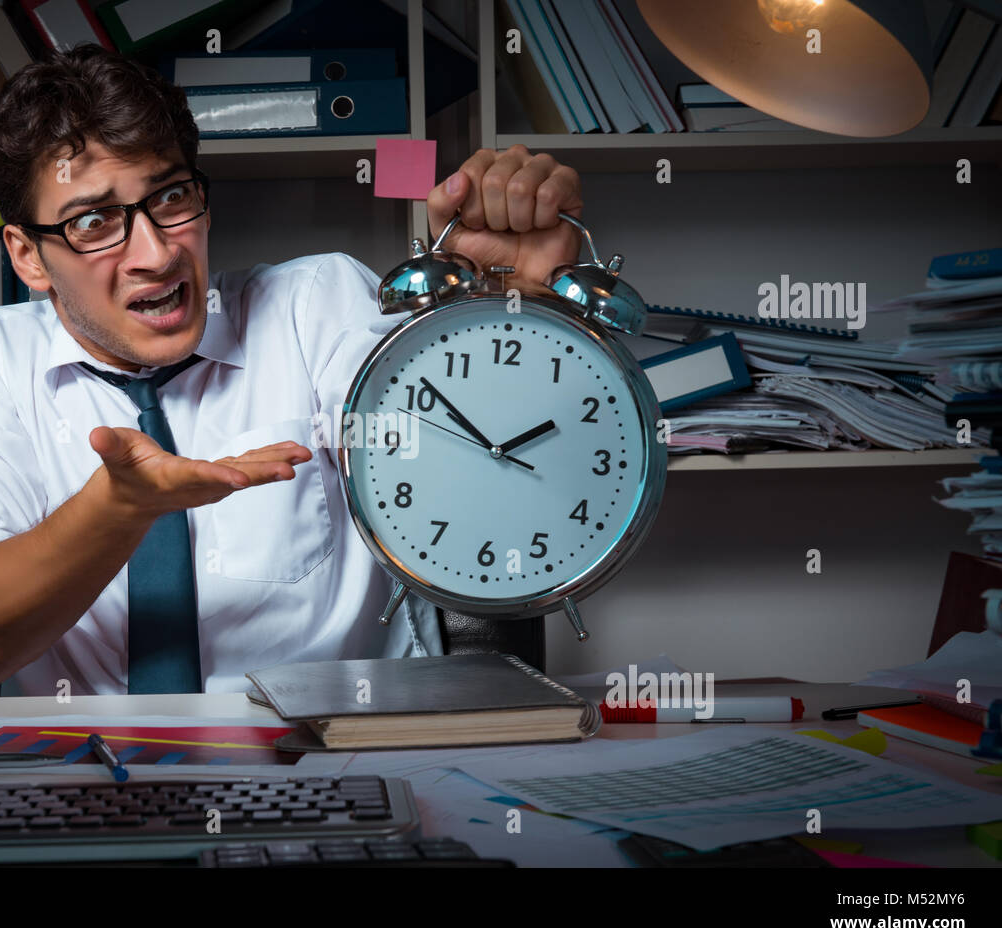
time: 1:51
